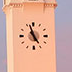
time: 4:57
